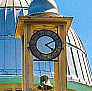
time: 4:10
